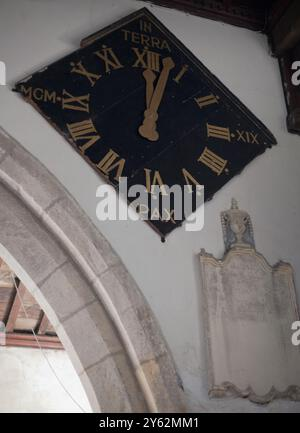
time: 12:03
